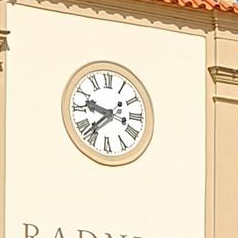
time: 9:38
